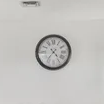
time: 4:36
